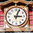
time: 3:03
